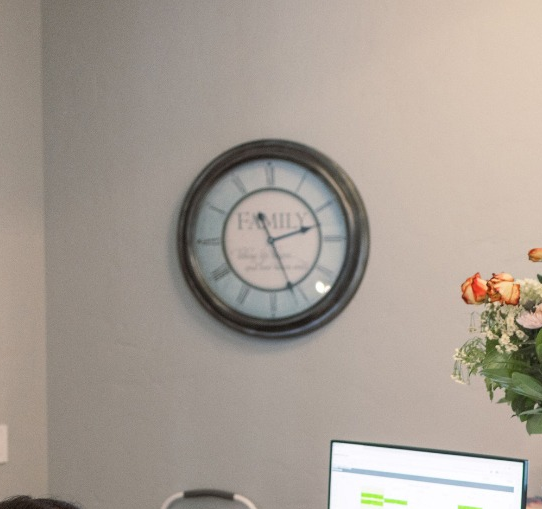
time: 2:25
